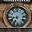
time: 6:43
